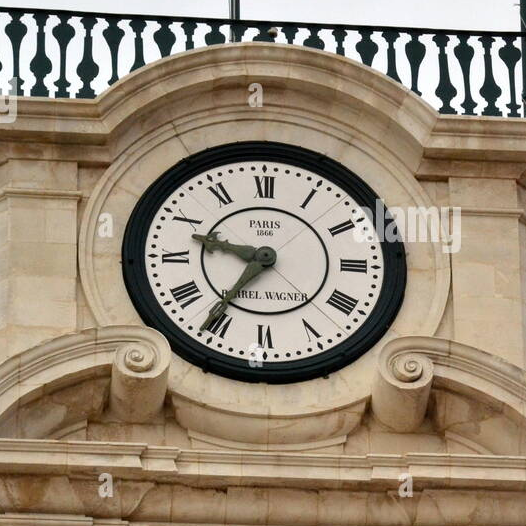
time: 9:35
